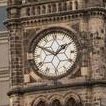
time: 1:50
